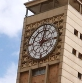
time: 12:13
